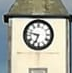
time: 6:47
